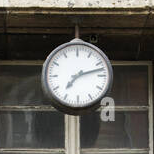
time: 7:12
